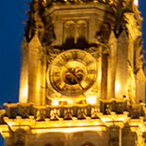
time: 4:52
